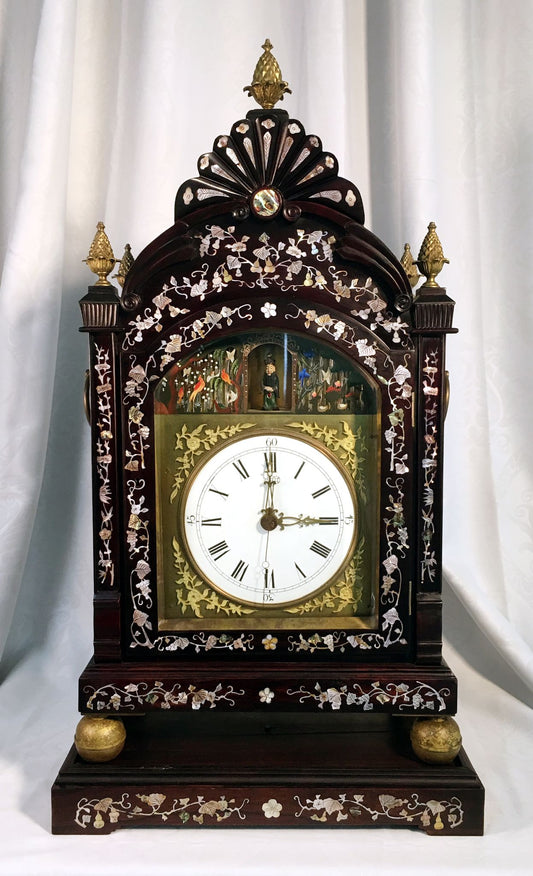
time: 12:14
